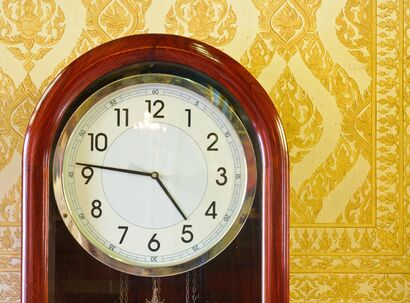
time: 4:46
